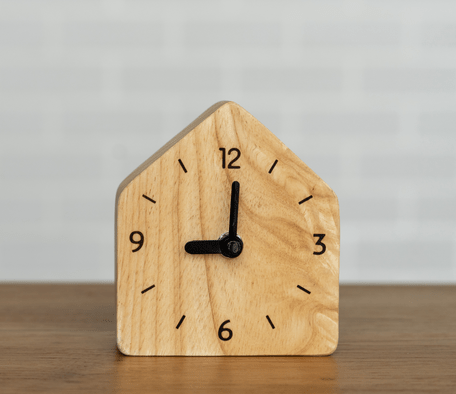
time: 9:01
